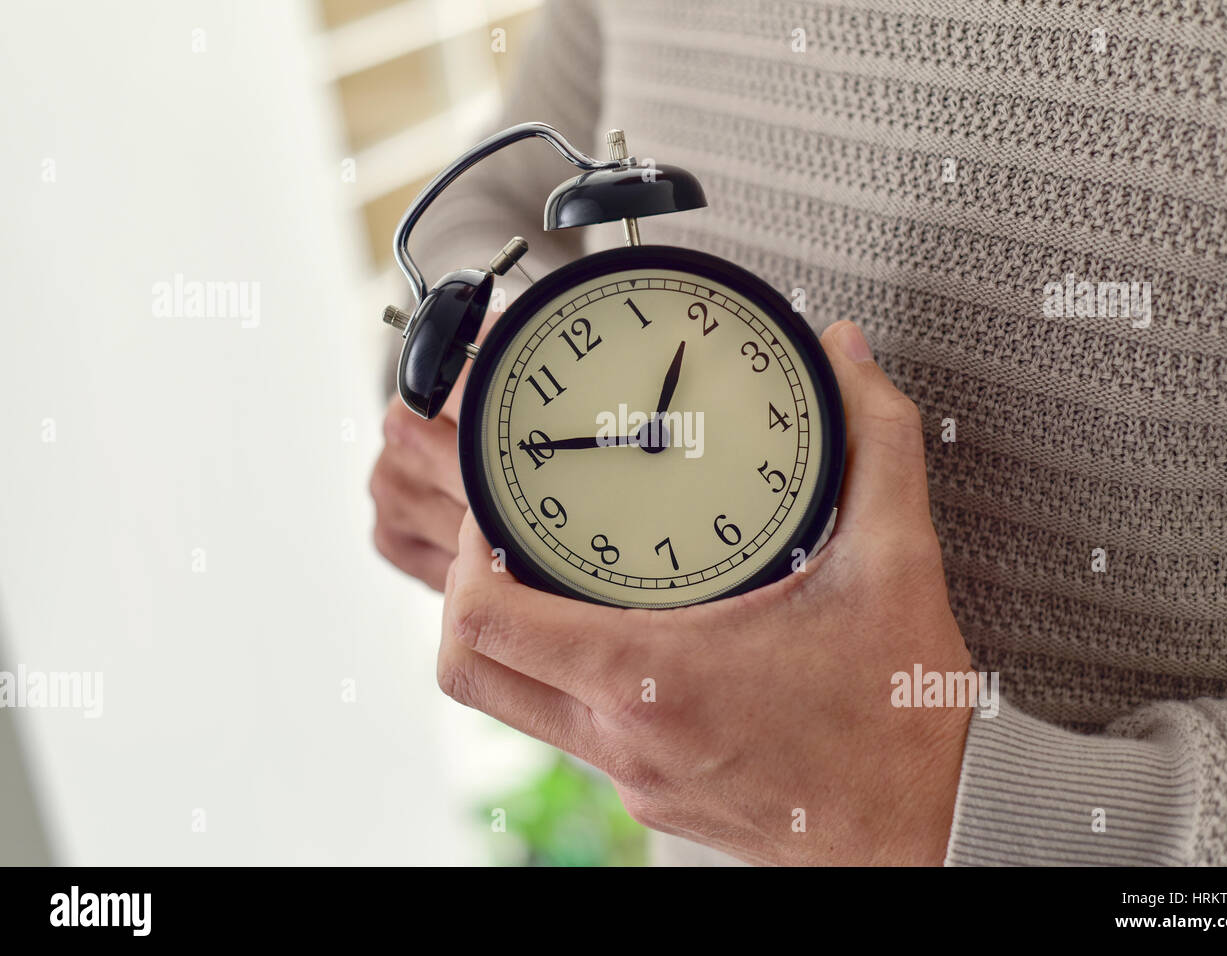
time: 12:45
